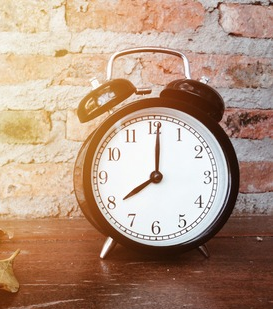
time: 8:00
